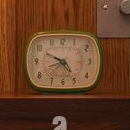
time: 4:49
